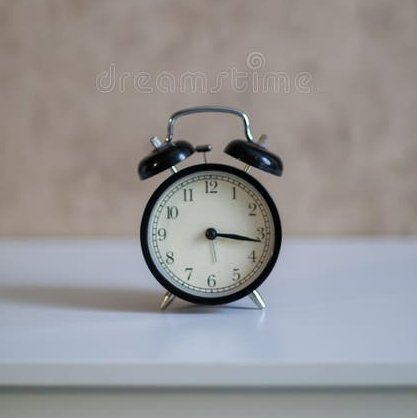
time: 3:16
